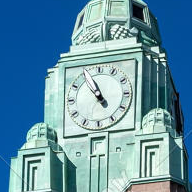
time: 4:56
